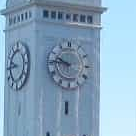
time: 9:45
